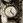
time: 12:23
